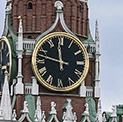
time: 11:47
